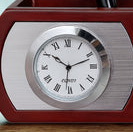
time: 10:11
